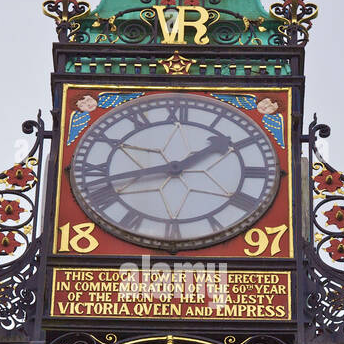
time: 1:42
